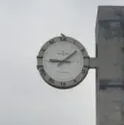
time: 9:08
